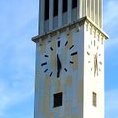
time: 5:30
